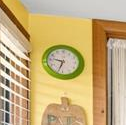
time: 9:33
